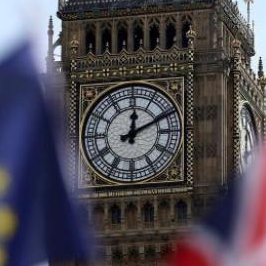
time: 12:10
